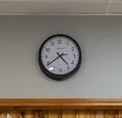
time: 4:38
